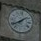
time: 1:39
